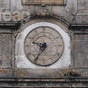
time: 9:36
